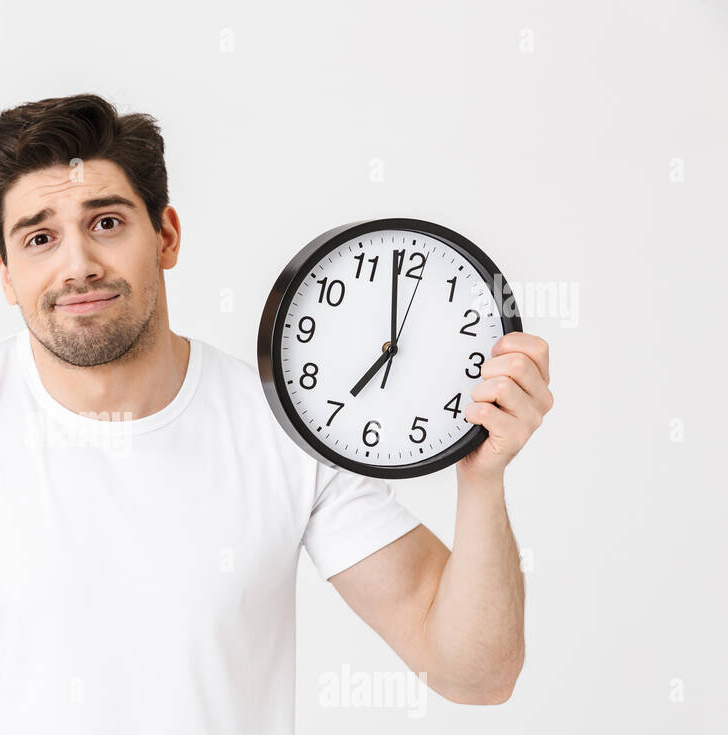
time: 6:58
